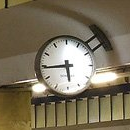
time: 5:44
